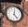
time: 12:23
